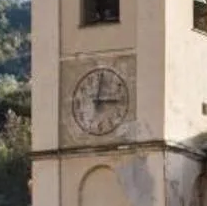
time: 3:02
